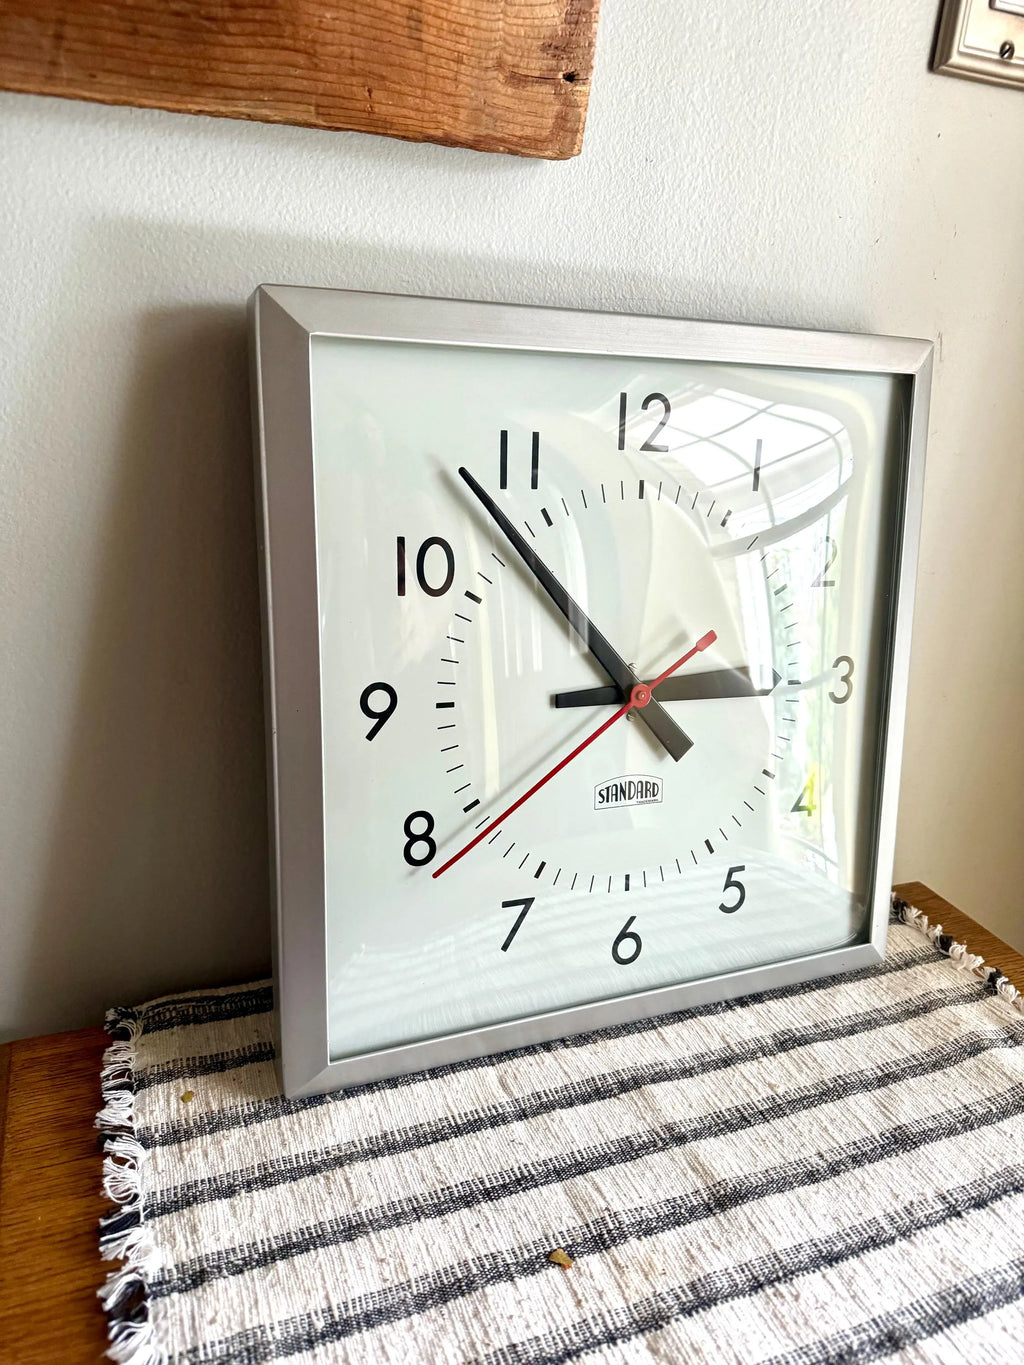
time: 2:53
